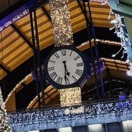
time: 5:30
